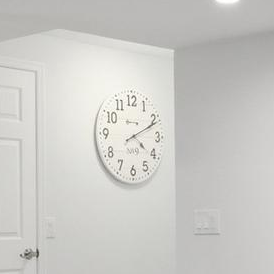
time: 4:11
